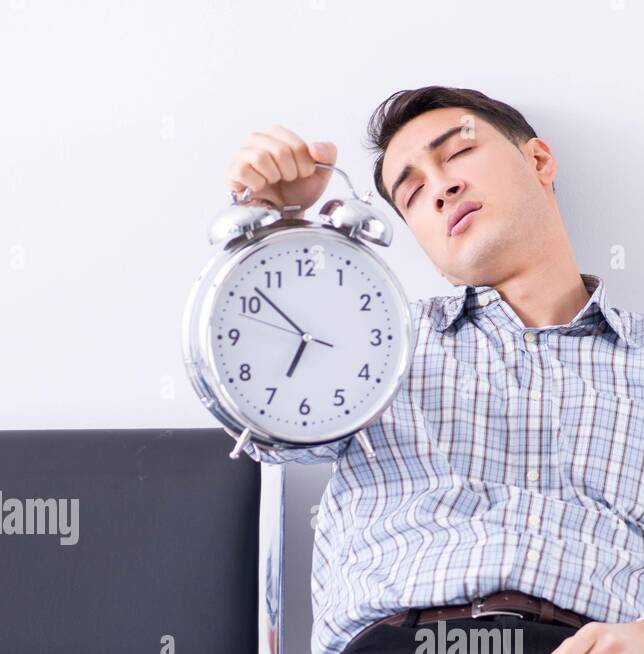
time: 6:52
